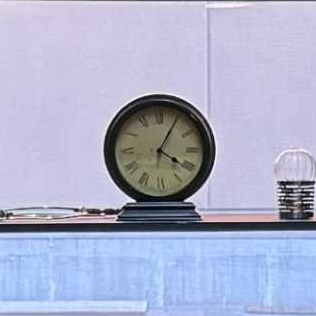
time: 4:04
